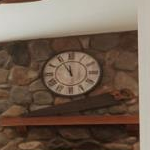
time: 11:55
